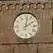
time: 2:01
